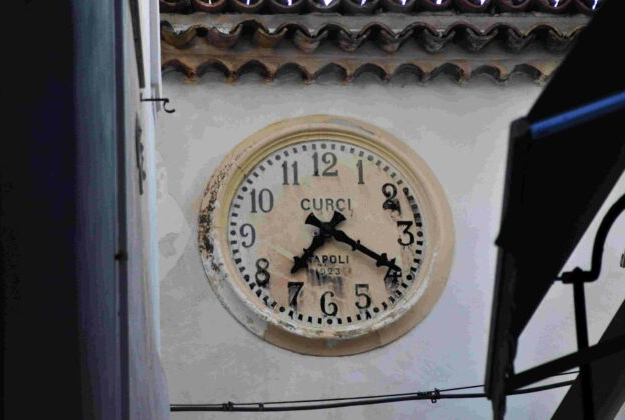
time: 7:19
